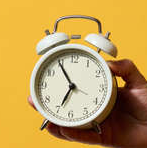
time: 6:54
